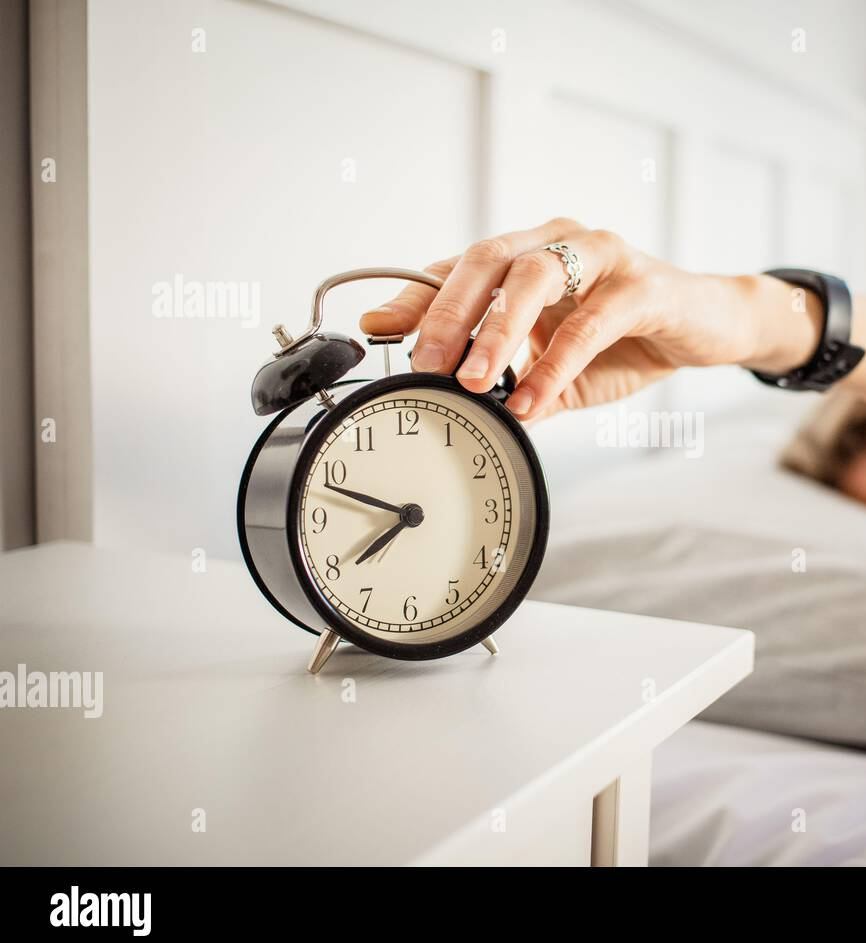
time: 7:48
